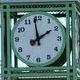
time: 1:58
